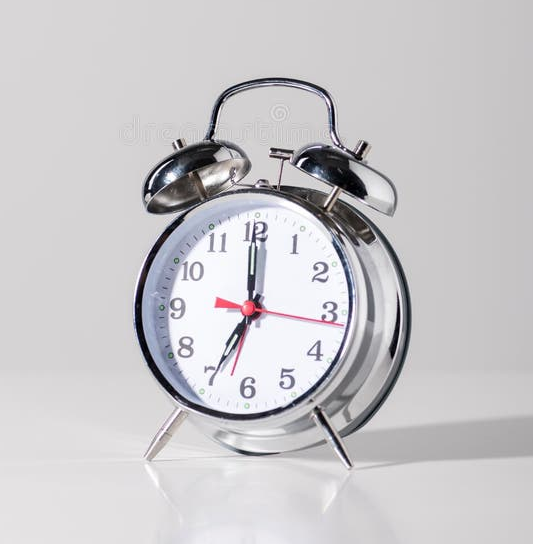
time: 7:00
